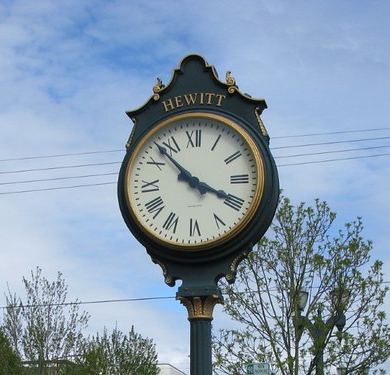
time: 3:52
